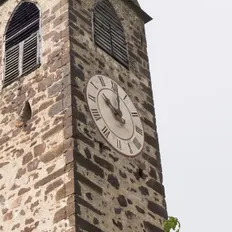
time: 10:00
